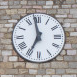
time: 6:58
